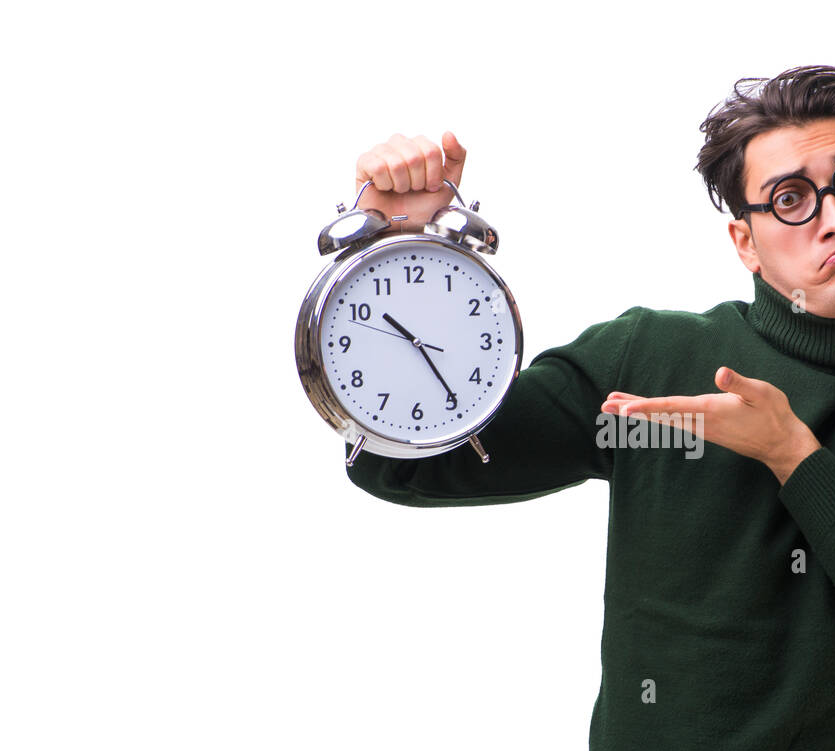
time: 10:24
